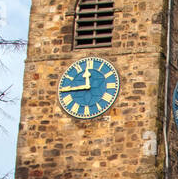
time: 11:44
